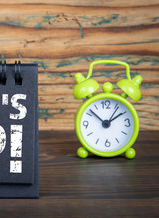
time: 1:52
